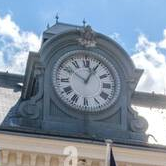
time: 12:50
